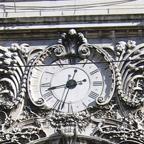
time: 8:33
